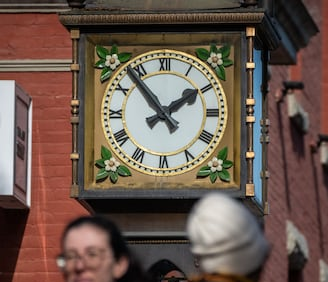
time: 1:53
